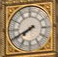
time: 7:40
